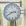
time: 2:40
